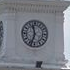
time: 11:33
